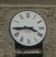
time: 3:44
